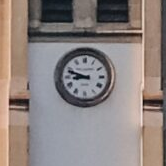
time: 8:48
